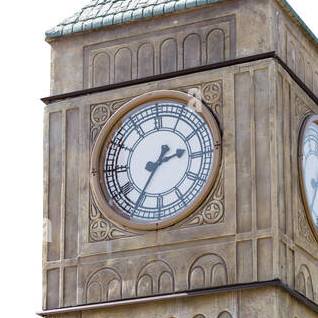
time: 2:35
